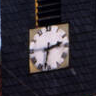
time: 2:32
